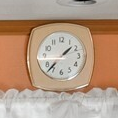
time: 1:37
